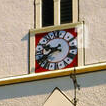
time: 9:39
